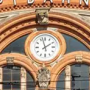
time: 1:57
